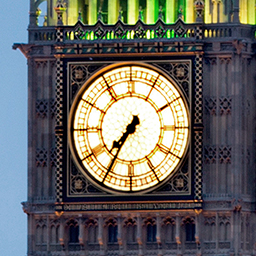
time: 7:35
